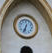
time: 6:34
